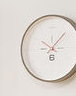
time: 10:07
